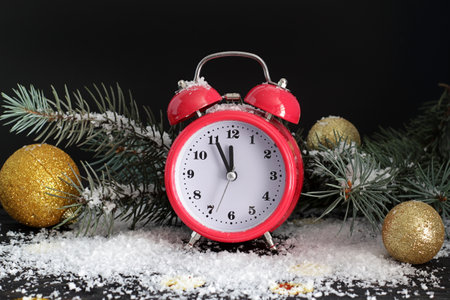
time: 11:55
